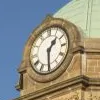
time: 1:30
